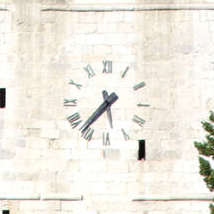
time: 5:36
